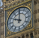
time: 10:00
